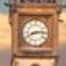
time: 8:14
